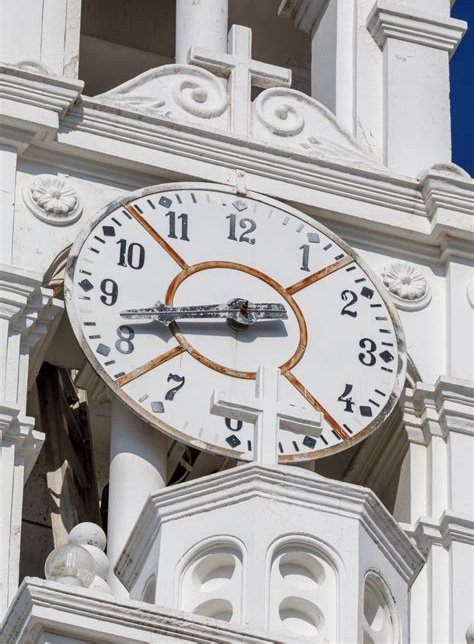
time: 8:42
